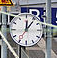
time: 12:06
